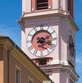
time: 2:18
